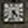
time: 4:32
